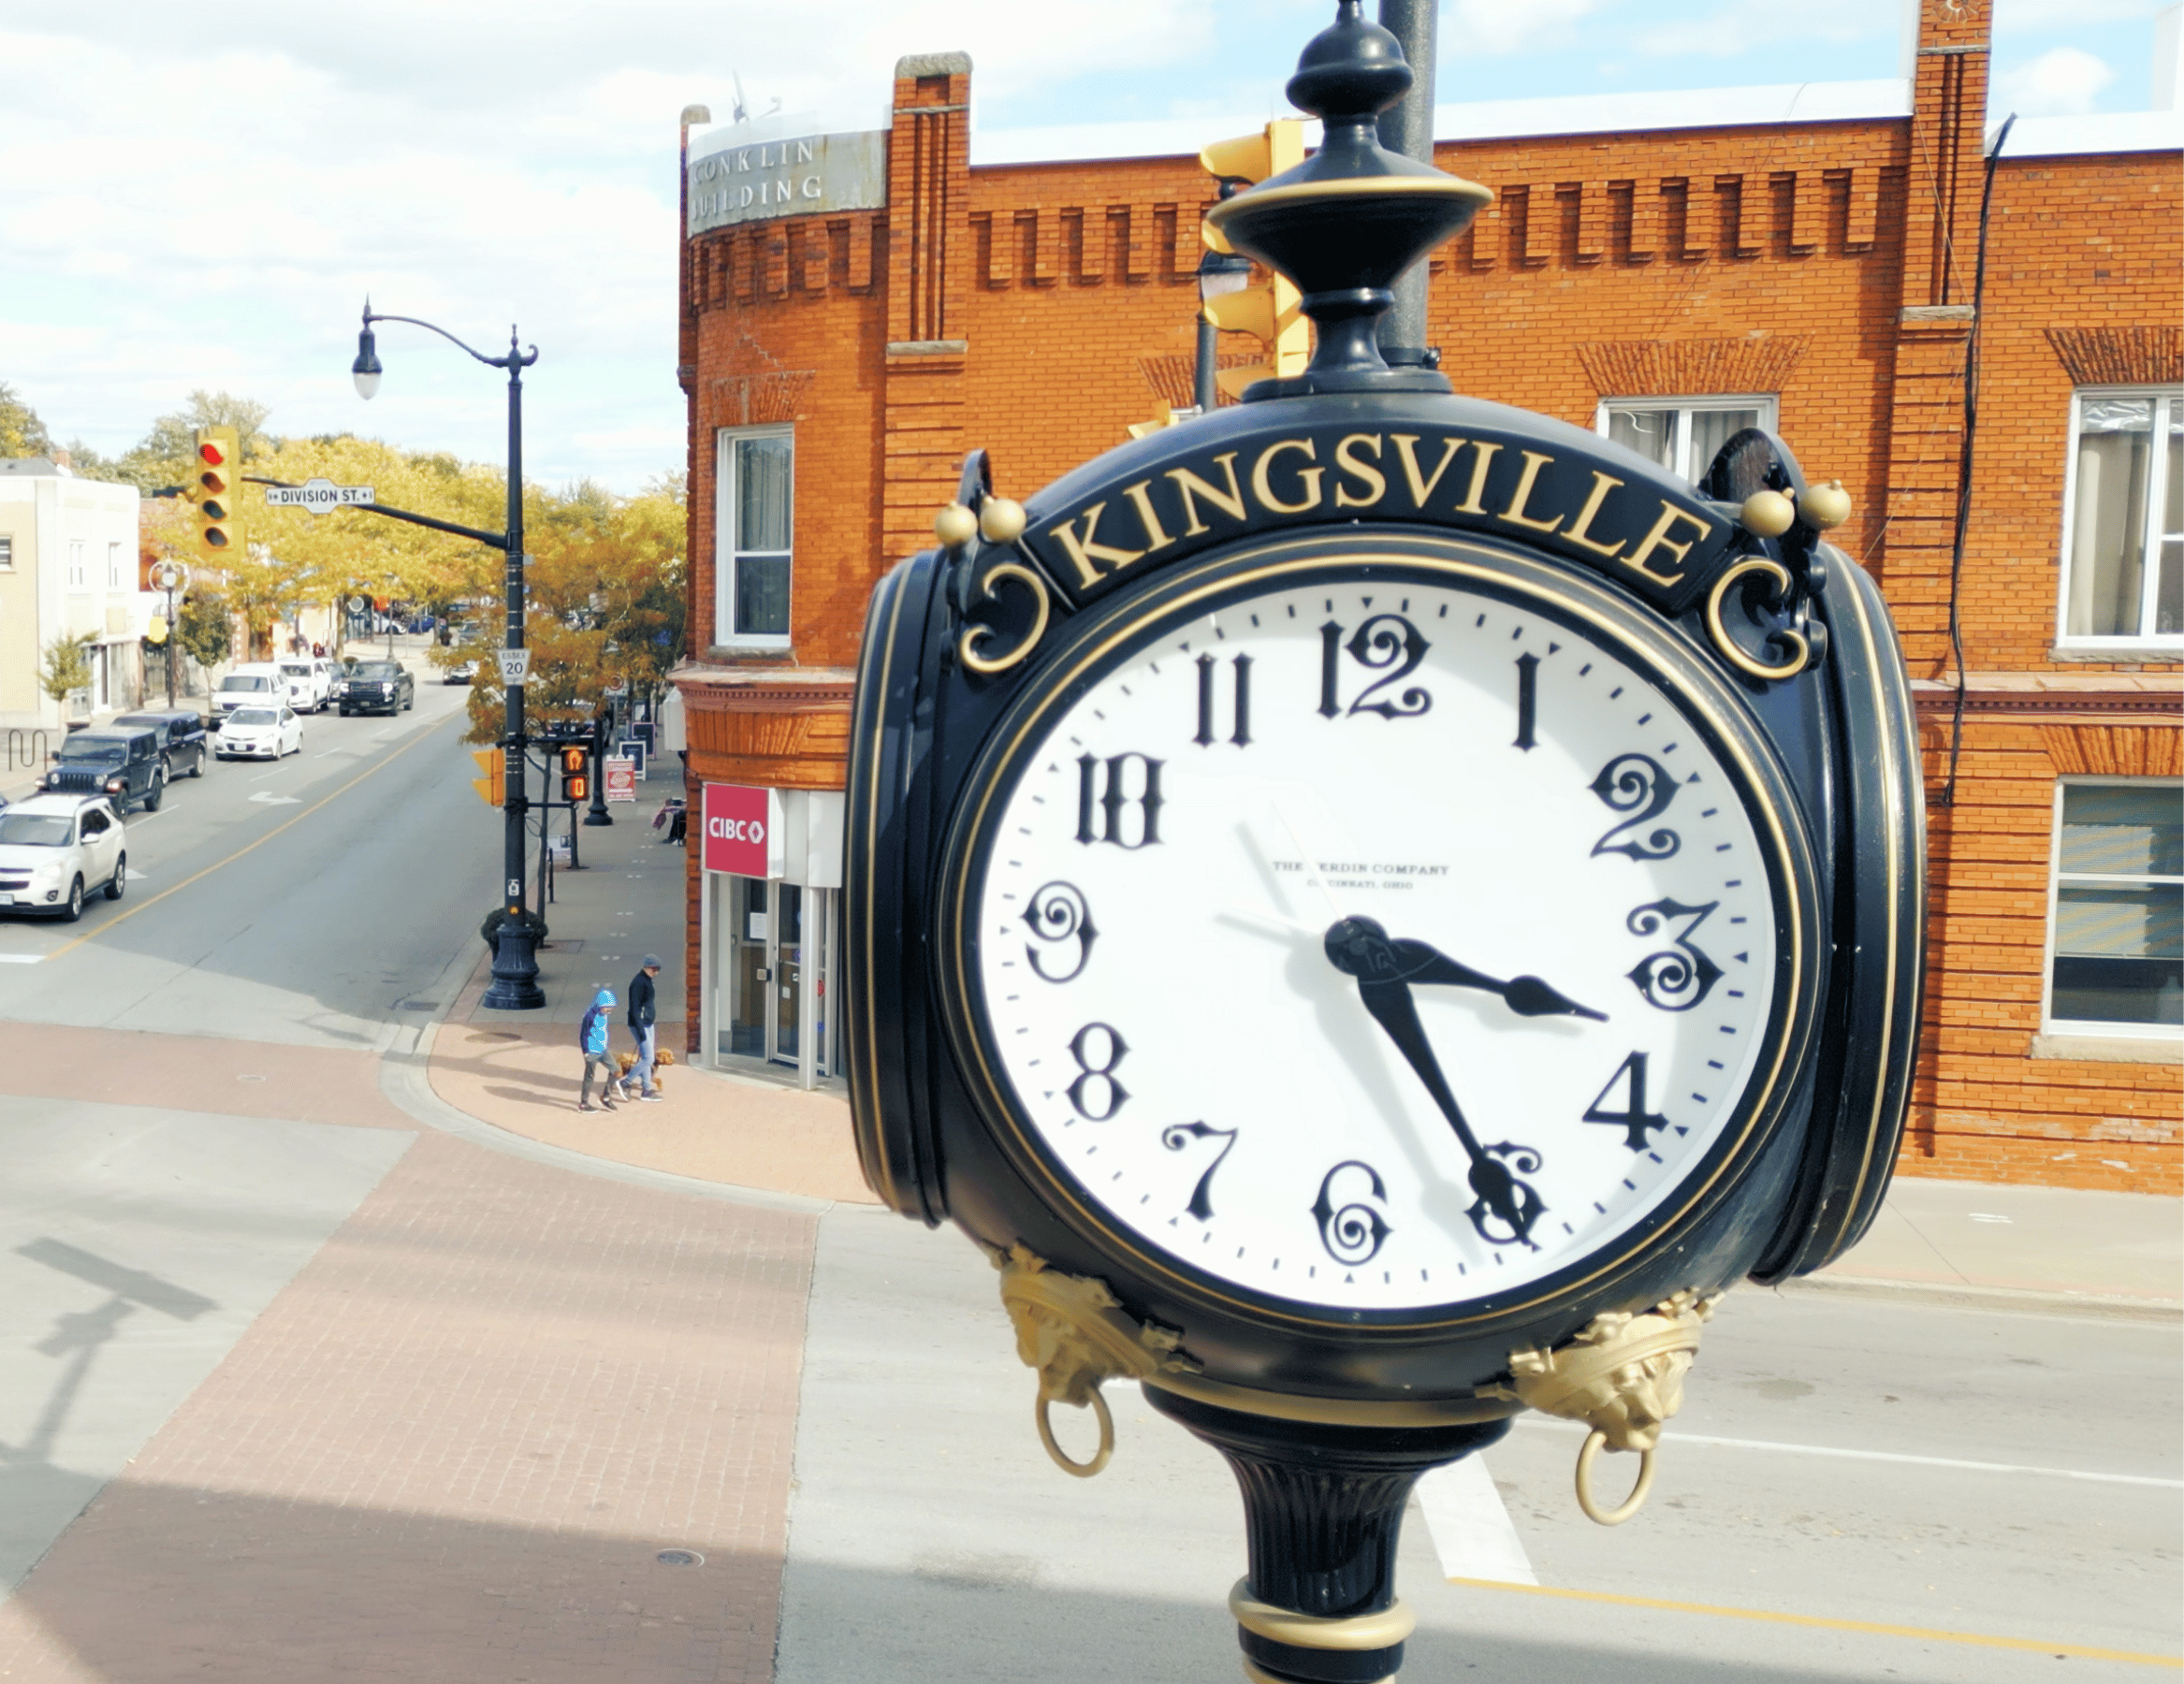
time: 3:24
